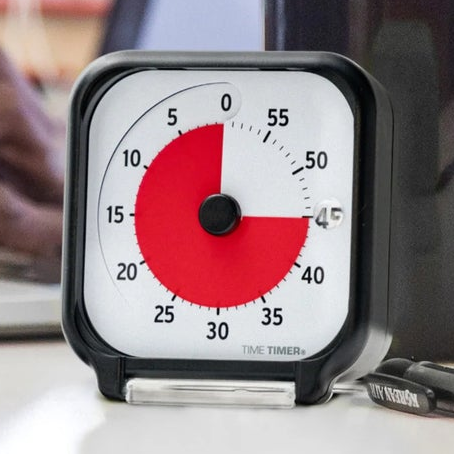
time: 12:14
